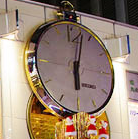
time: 6:02
